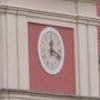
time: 12:18
